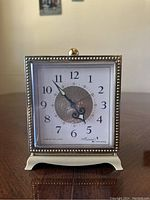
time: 4:53
